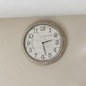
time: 2:27
